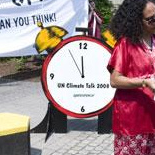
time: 11:55
